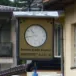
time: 10:43
